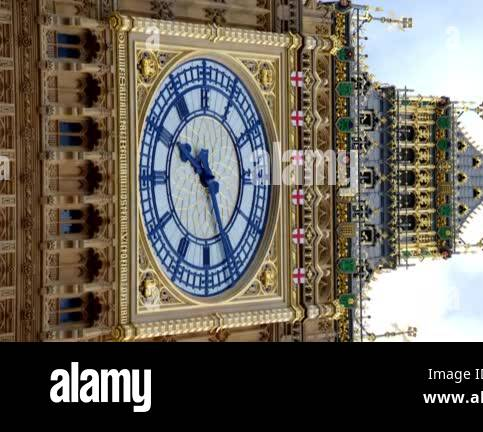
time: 4:49
